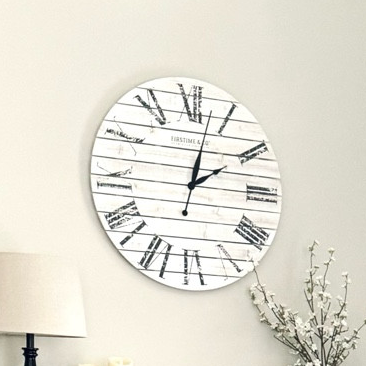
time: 2:02
